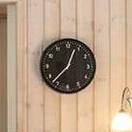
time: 12:37
